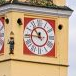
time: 10:45
